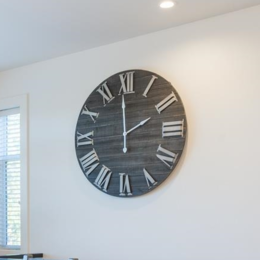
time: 1:59
